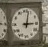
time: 3:02
